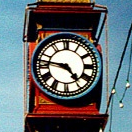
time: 4:46
